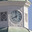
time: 7:59
